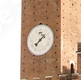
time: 1:37
